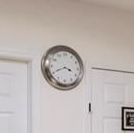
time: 3:41
